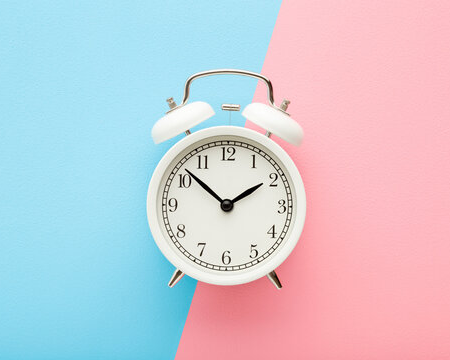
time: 1:52
